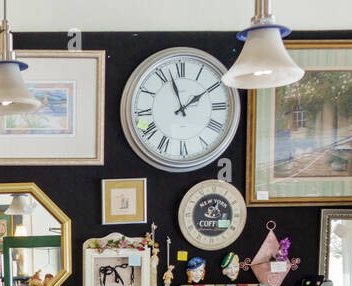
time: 1:57
